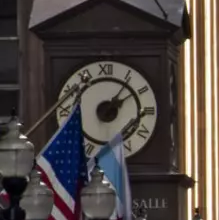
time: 2:06
